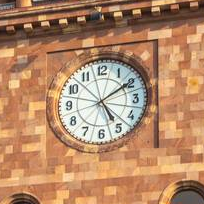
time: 5:09
